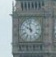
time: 9:57
